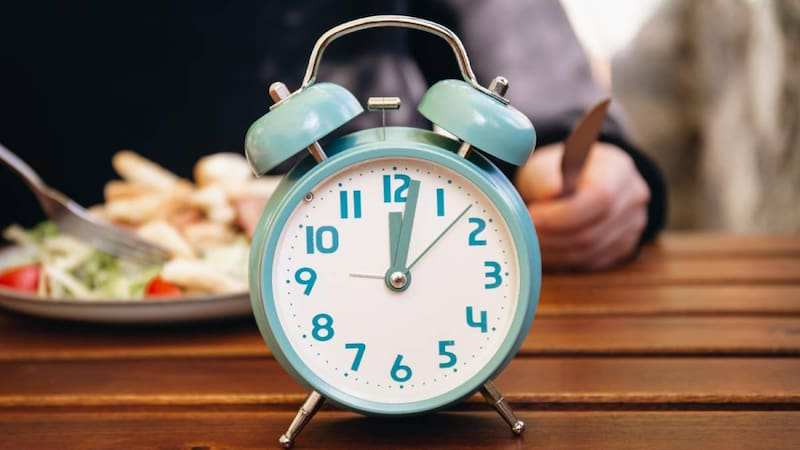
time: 12:02
